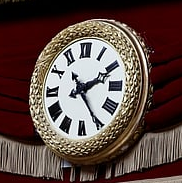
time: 2:24
